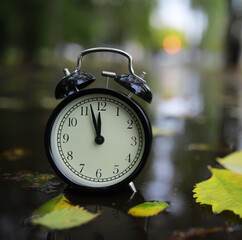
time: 11:57
